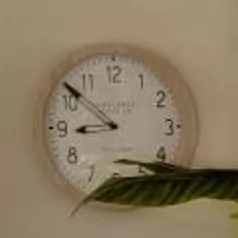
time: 8:51
